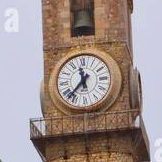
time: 11:37
